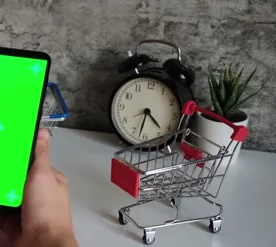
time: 4:32
